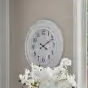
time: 4:10
